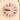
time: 8:47
